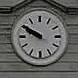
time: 9:50
